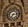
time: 7:15
